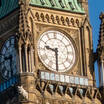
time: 9:30
